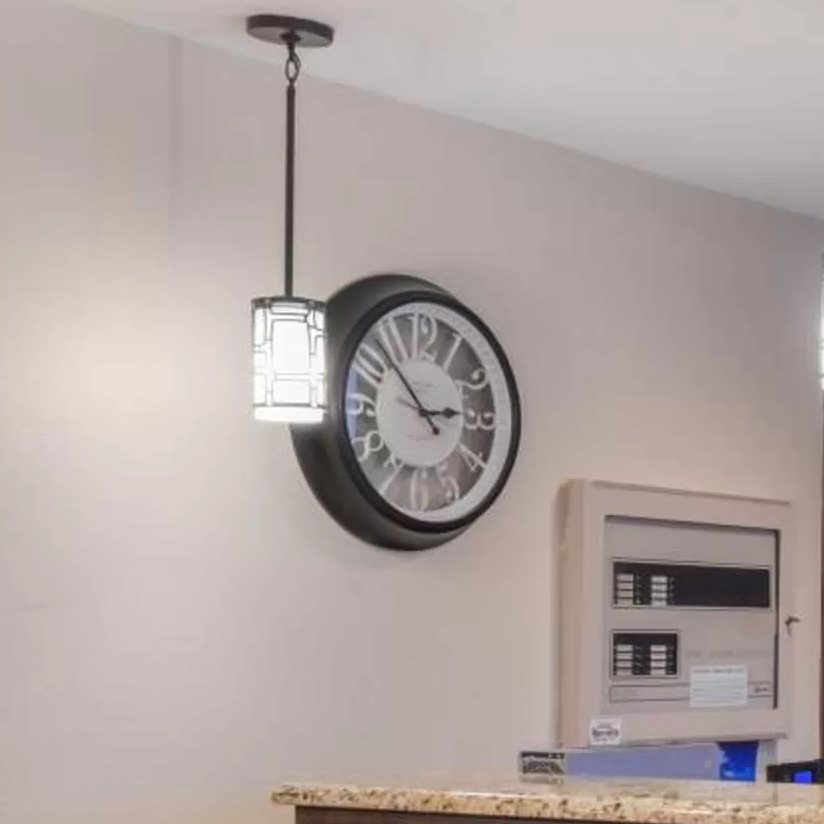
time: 2:52
